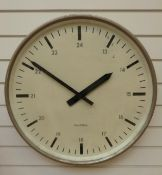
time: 1:50
